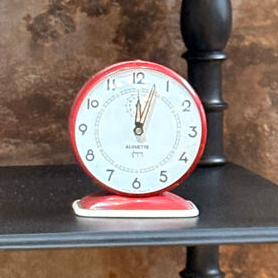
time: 12:02
